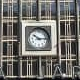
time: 10:14
